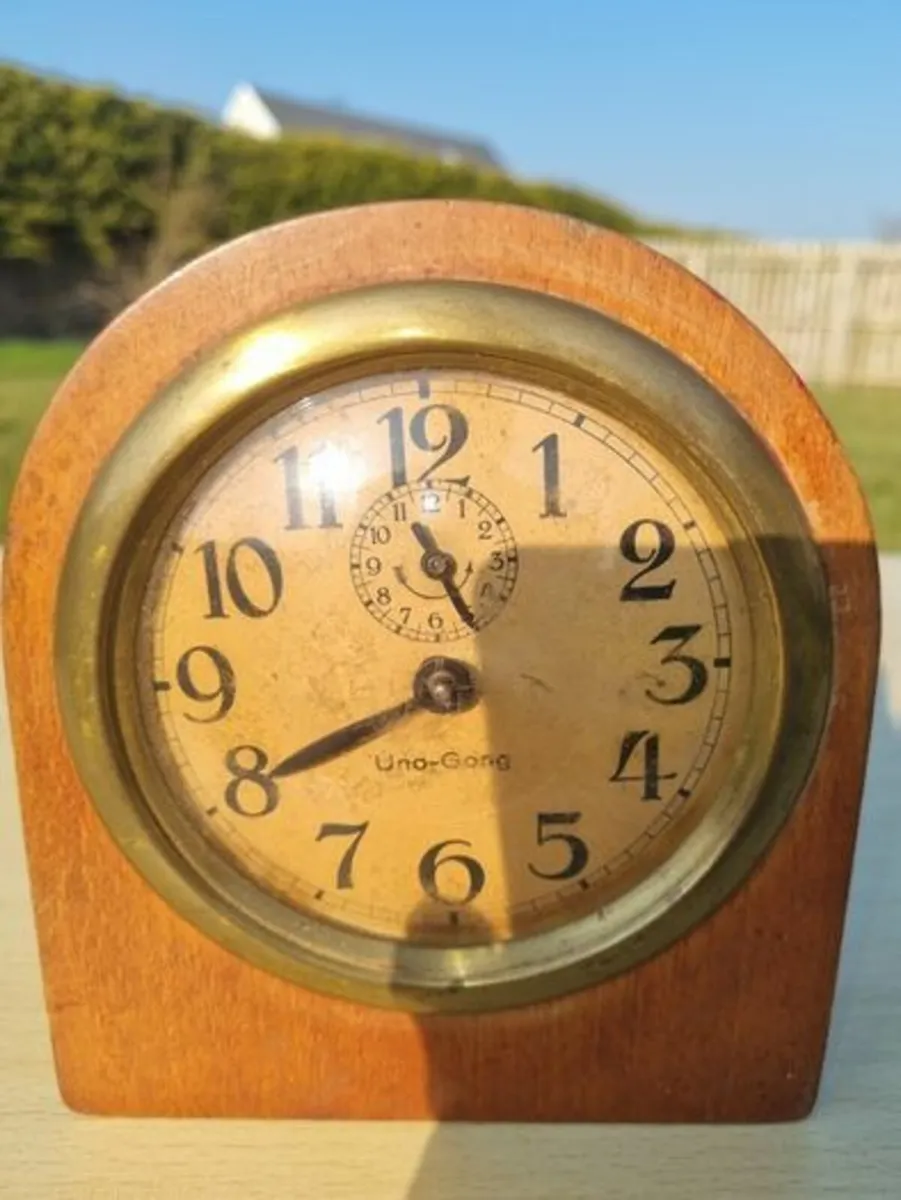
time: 11:40
